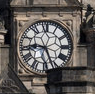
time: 9:26
